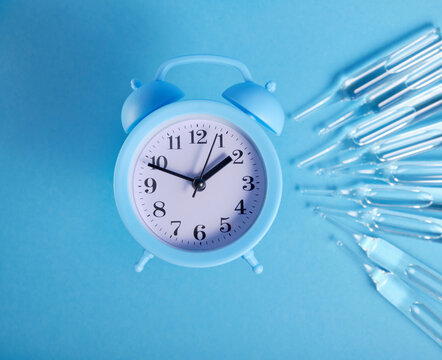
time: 1:48
